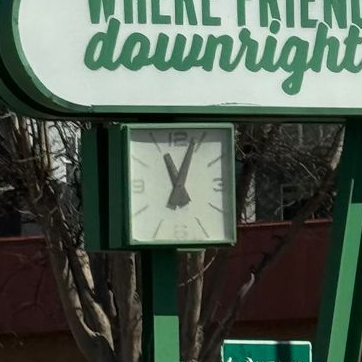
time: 11:03
